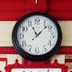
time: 11:07
